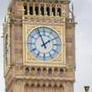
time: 1:56
